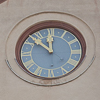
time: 11:52
